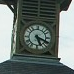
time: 5:18
